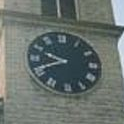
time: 9:41
